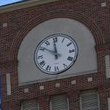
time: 11:50
